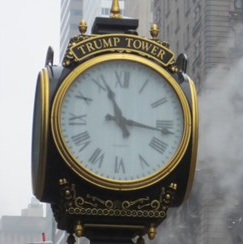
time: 11:16
